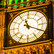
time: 11:19
